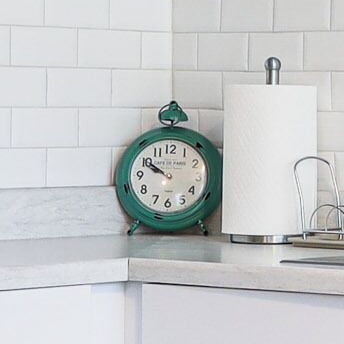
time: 9:50
